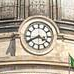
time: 3:40
